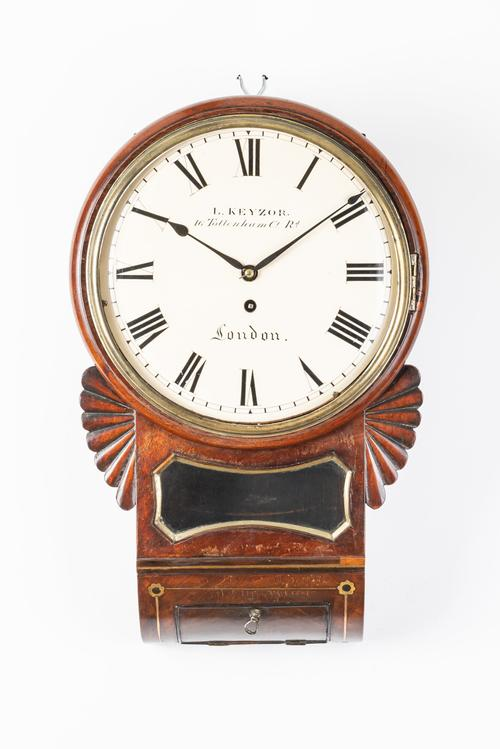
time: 1:50
